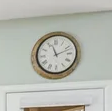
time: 11:12
